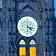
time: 4:17
